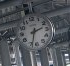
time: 2:33
